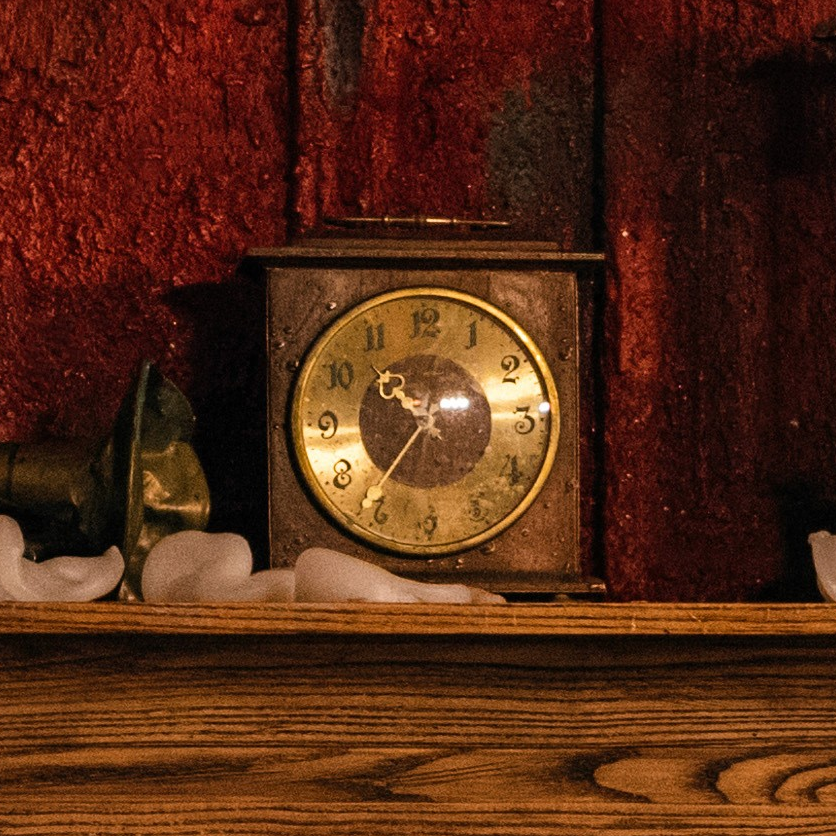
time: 2:36
